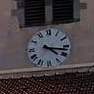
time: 4:16
